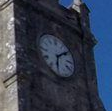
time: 6:08
